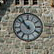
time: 10:52
